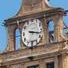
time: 3:17
